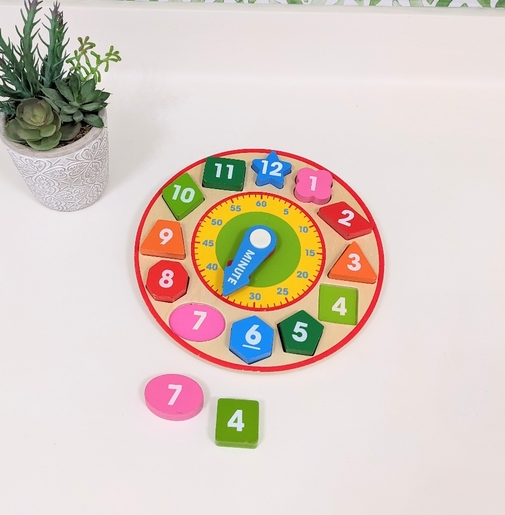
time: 6:34
